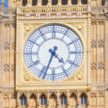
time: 4:33
